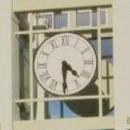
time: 4:30
